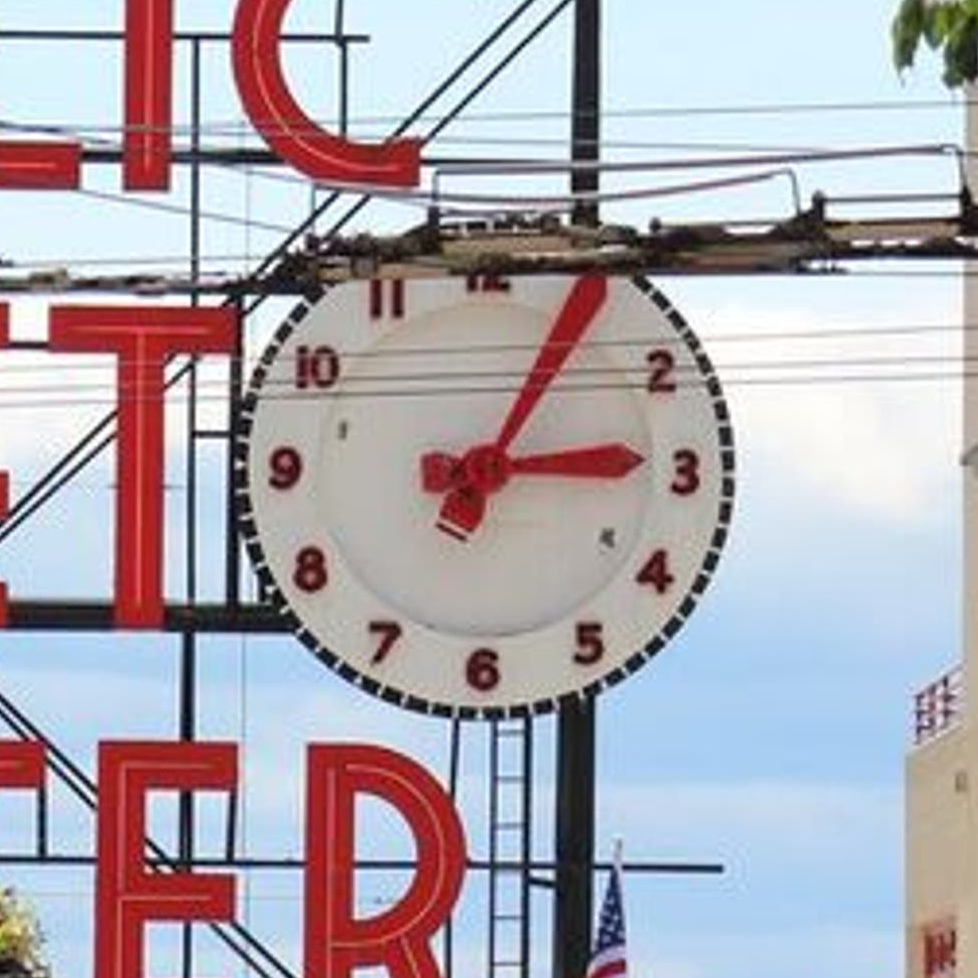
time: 3:04
